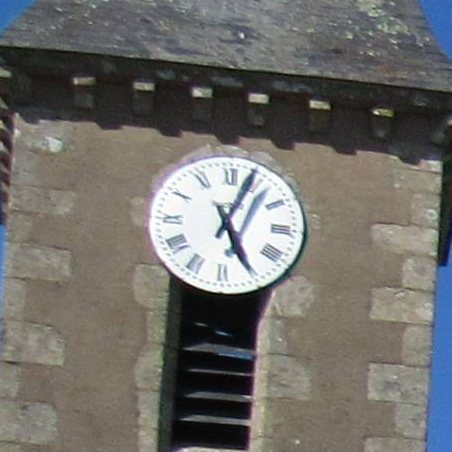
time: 5:03
